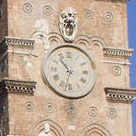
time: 10:32
